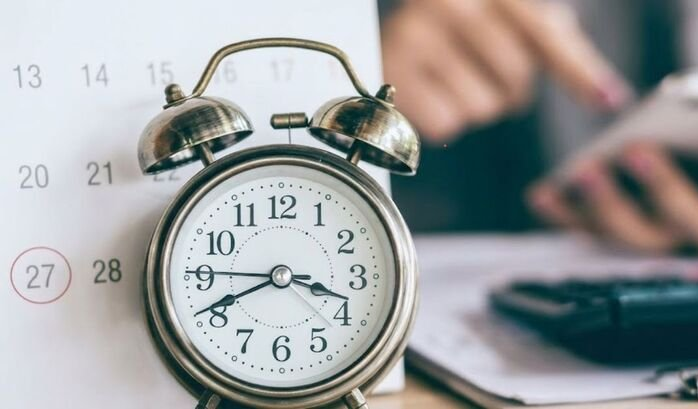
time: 3:41
